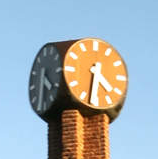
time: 4:31
